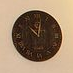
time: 10:02
